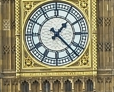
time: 1:22
